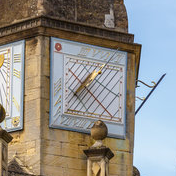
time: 7:37
